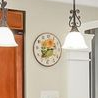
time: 2:36
